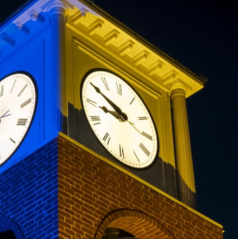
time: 8:49
